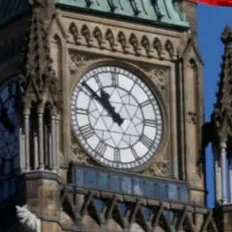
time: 10:51
